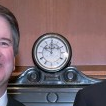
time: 10:00
